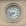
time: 7:46
